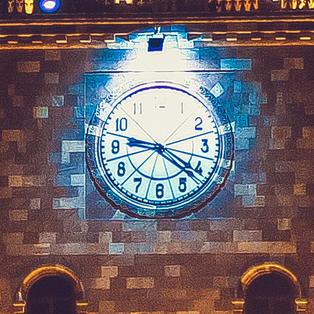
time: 9:21
